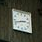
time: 2:42
